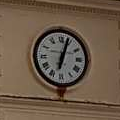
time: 6:03
